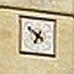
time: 6:51
